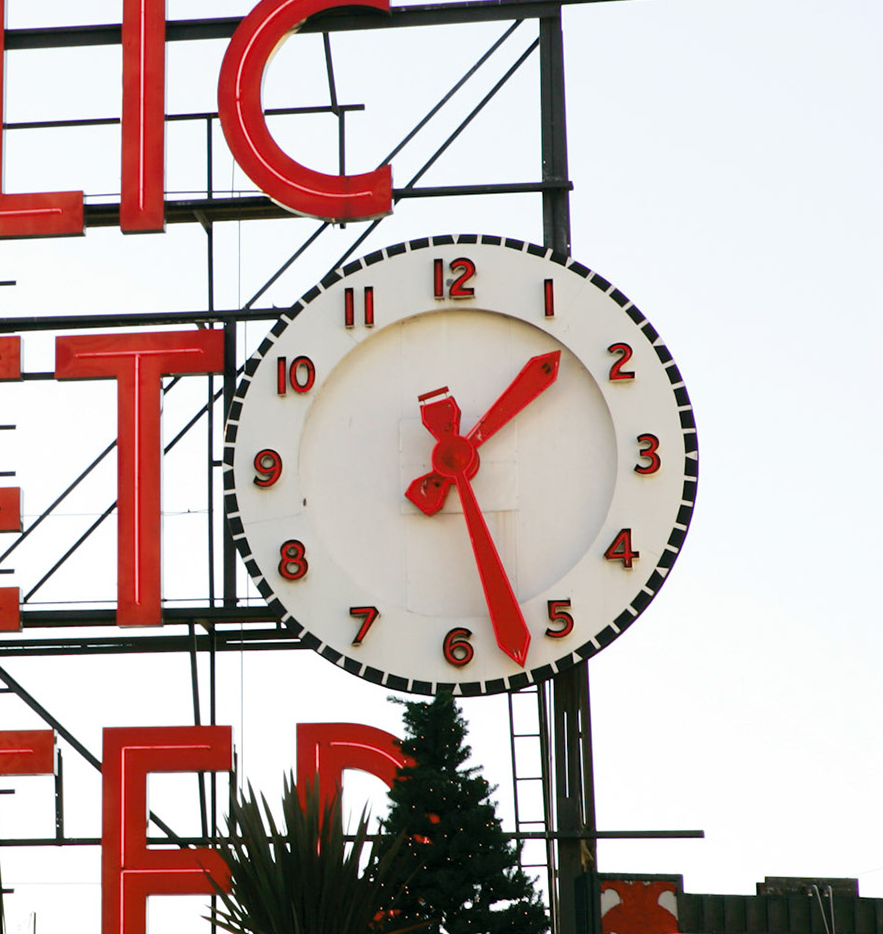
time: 1:27
